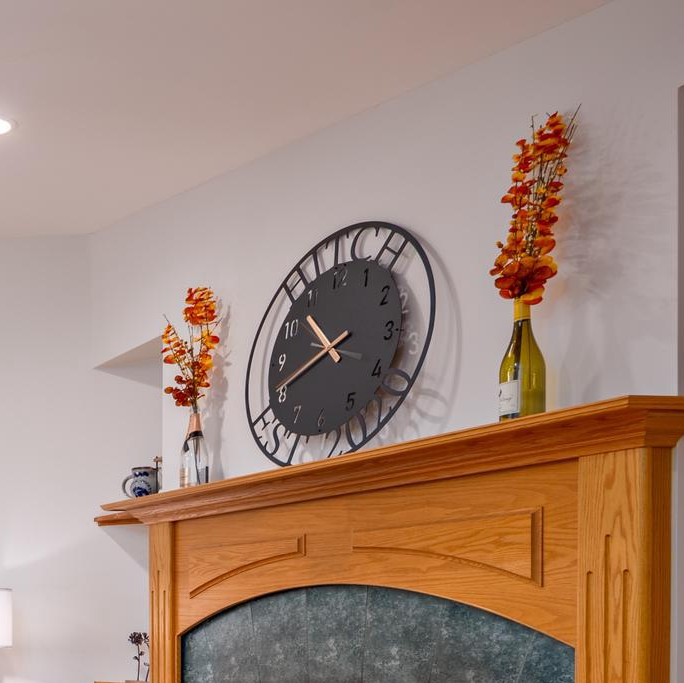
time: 10:41
